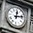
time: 12:12
